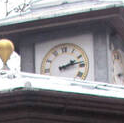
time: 2:13
